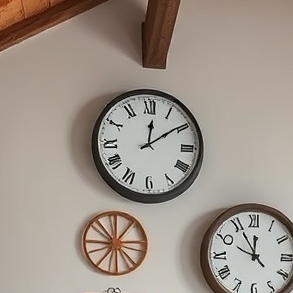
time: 12:09
